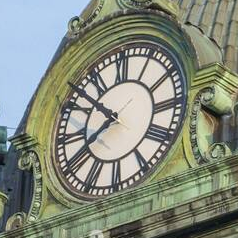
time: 7:51
